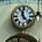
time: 11:22
